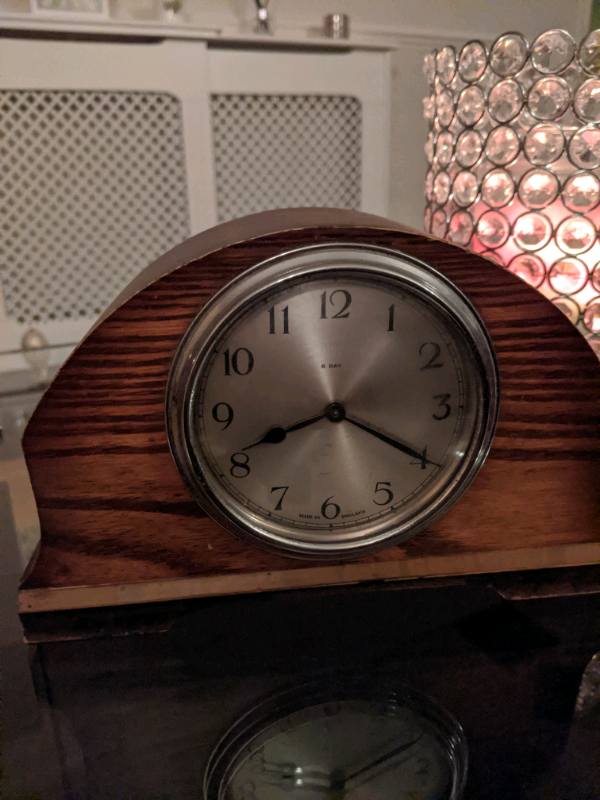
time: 8:20
